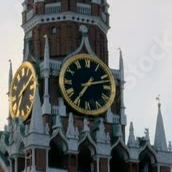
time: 7:12
